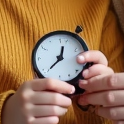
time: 12:37
